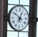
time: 12:51
